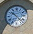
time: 10:22
